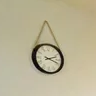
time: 2:18
